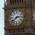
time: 2:38
